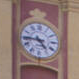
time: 4:44
